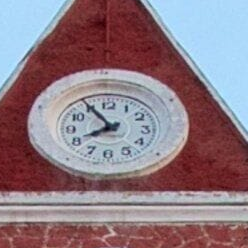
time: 7:54
